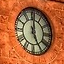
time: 4:59
